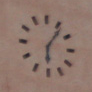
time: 6:06
